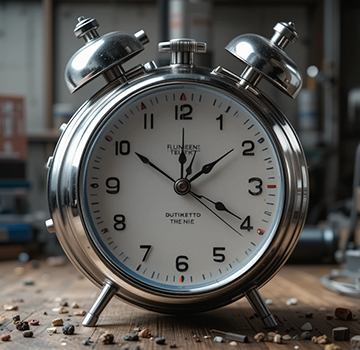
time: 12:19
